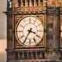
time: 3:35
